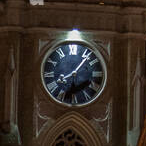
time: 8:06
